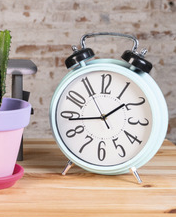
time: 1:43
